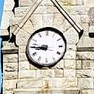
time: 8:45
